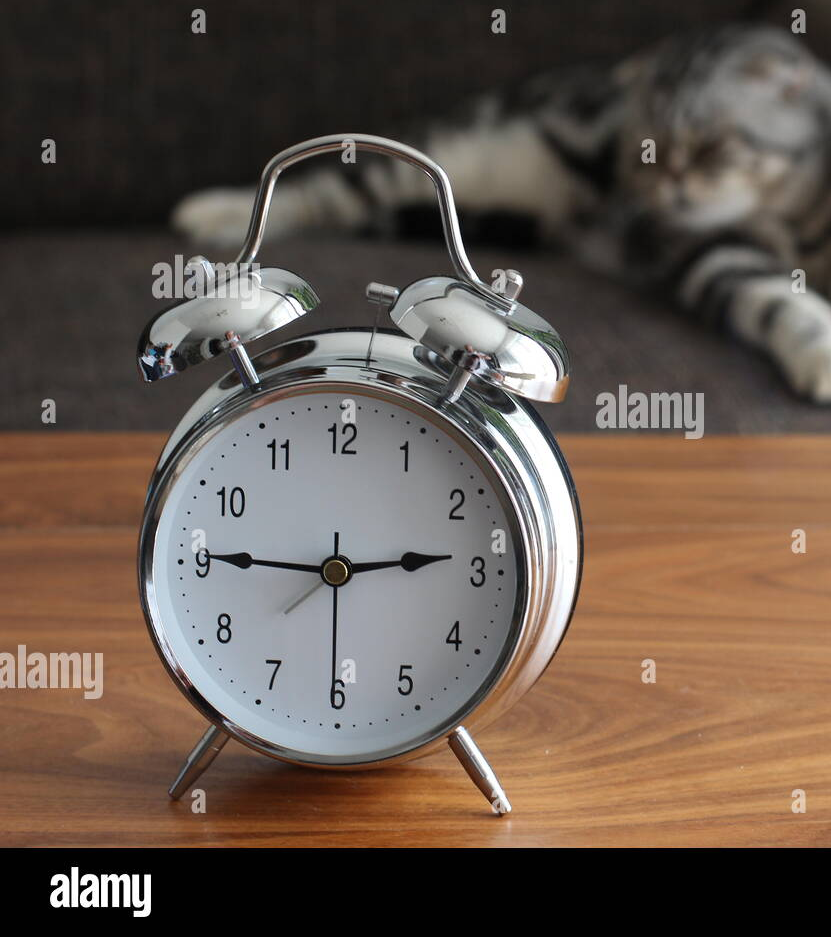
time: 2:45
